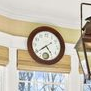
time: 4:39
